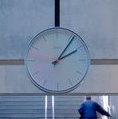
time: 2:06
